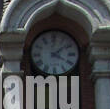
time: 4:08
